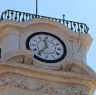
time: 11:36
